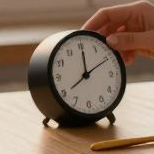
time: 12:00
